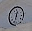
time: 12:32
